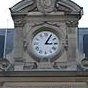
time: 3:04
